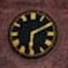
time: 6:10
